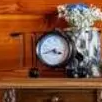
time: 3:42
